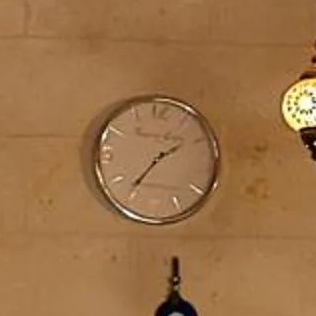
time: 1:36
